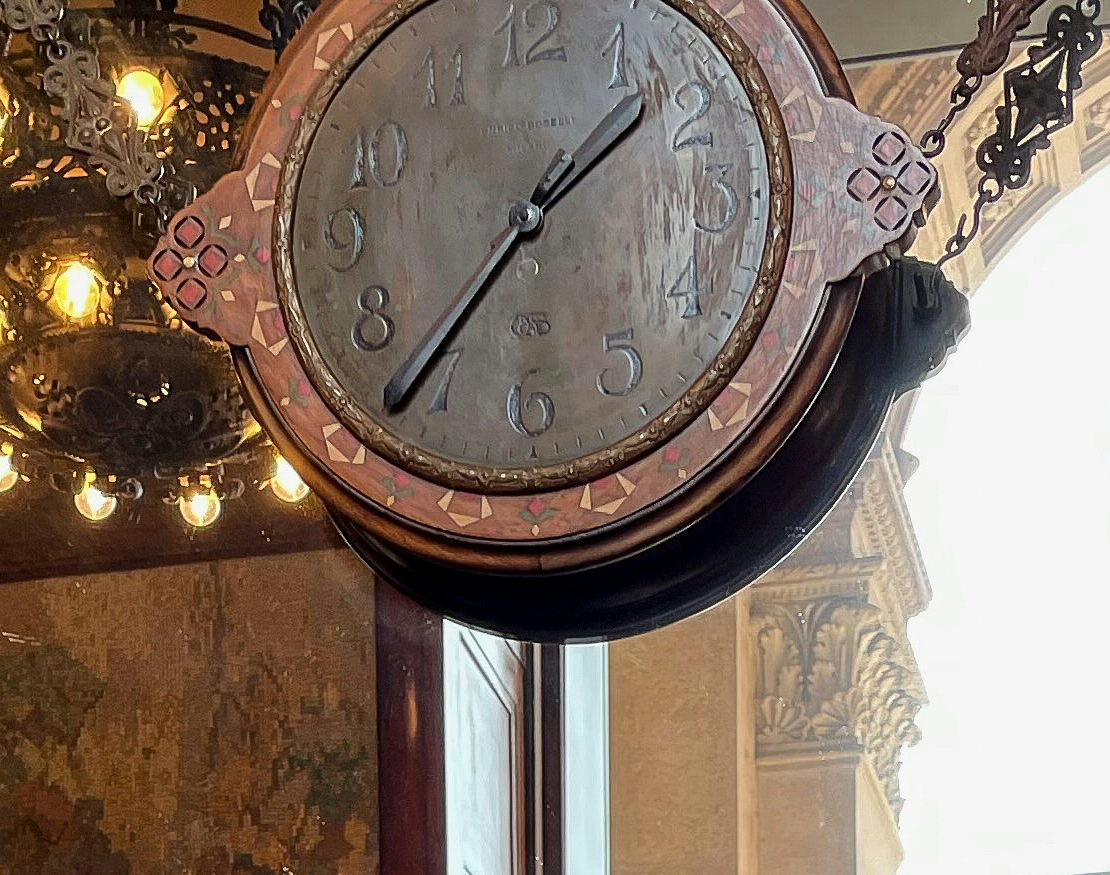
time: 1:35
